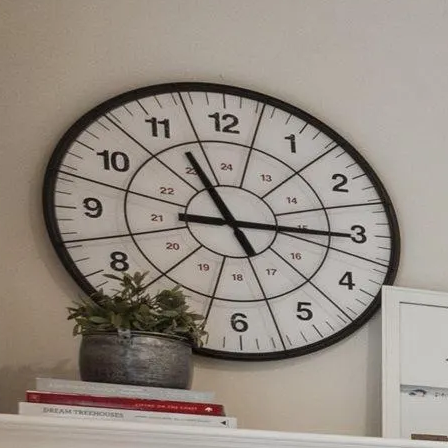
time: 11:15
